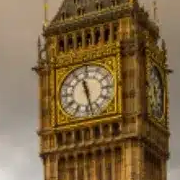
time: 11:28
